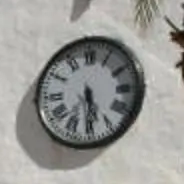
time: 5:30
